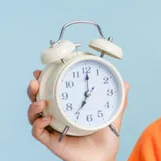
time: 7:00
